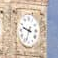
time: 9:33
